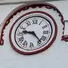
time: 9:23
